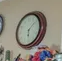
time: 6:08
